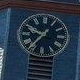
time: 9:36
